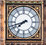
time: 7:42
